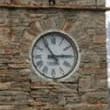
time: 2:54
